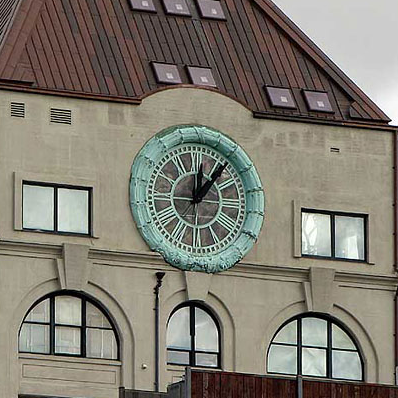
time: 12:06
